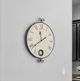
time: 11:38
